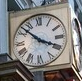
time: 3:52
